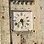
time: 5:38
